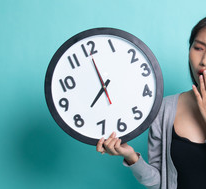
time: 7:59
